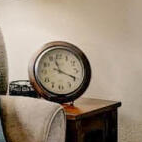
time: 11:19
